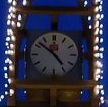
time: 4:51
